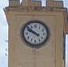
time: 9:51
